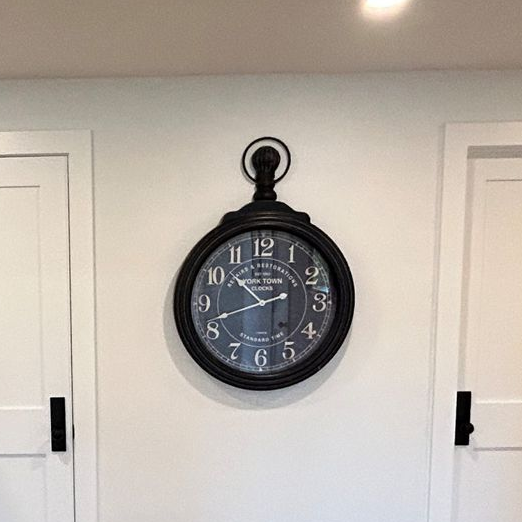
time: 10:41
